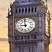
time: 8:58
